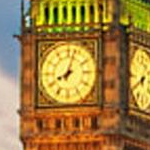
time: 8:03
